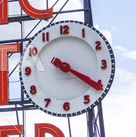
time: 4:20
